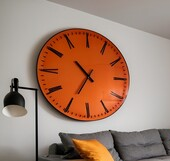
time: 10:34
